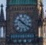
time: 10:21
